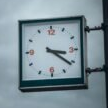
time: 3:21
